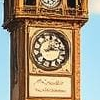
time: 2:15
